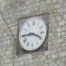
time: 3:44
